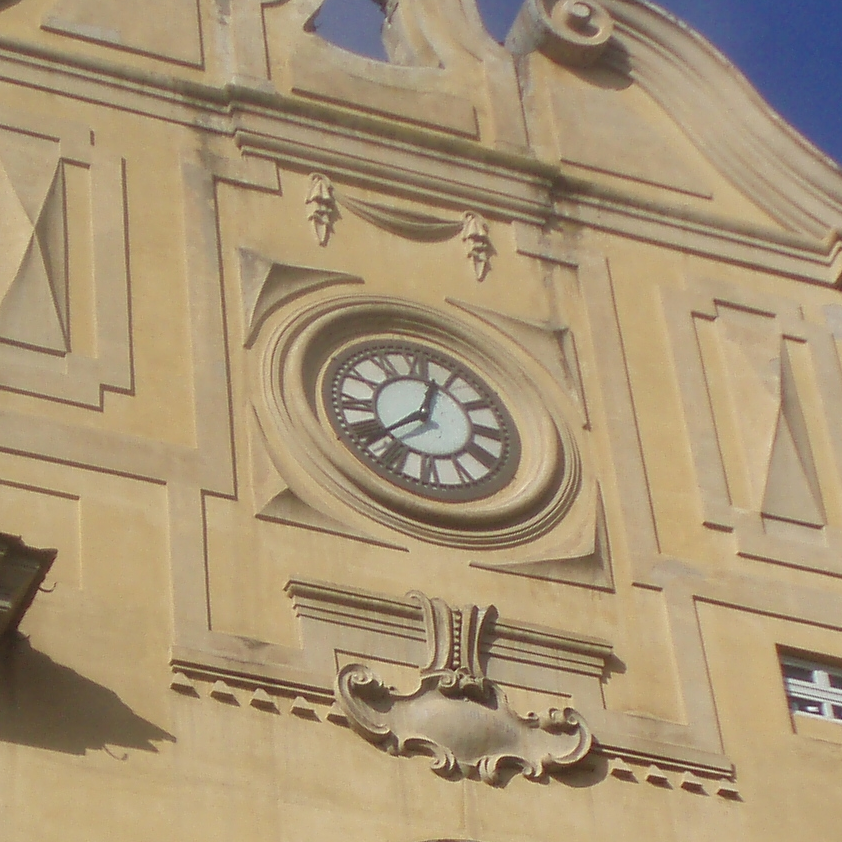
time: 12:37
